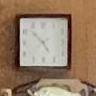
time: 4:52
